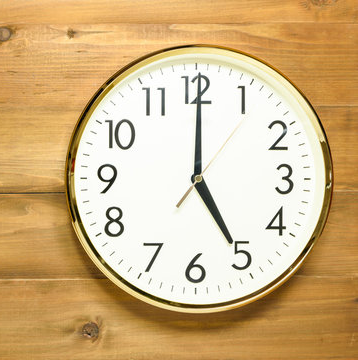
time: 5:00
